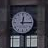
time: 12:14
